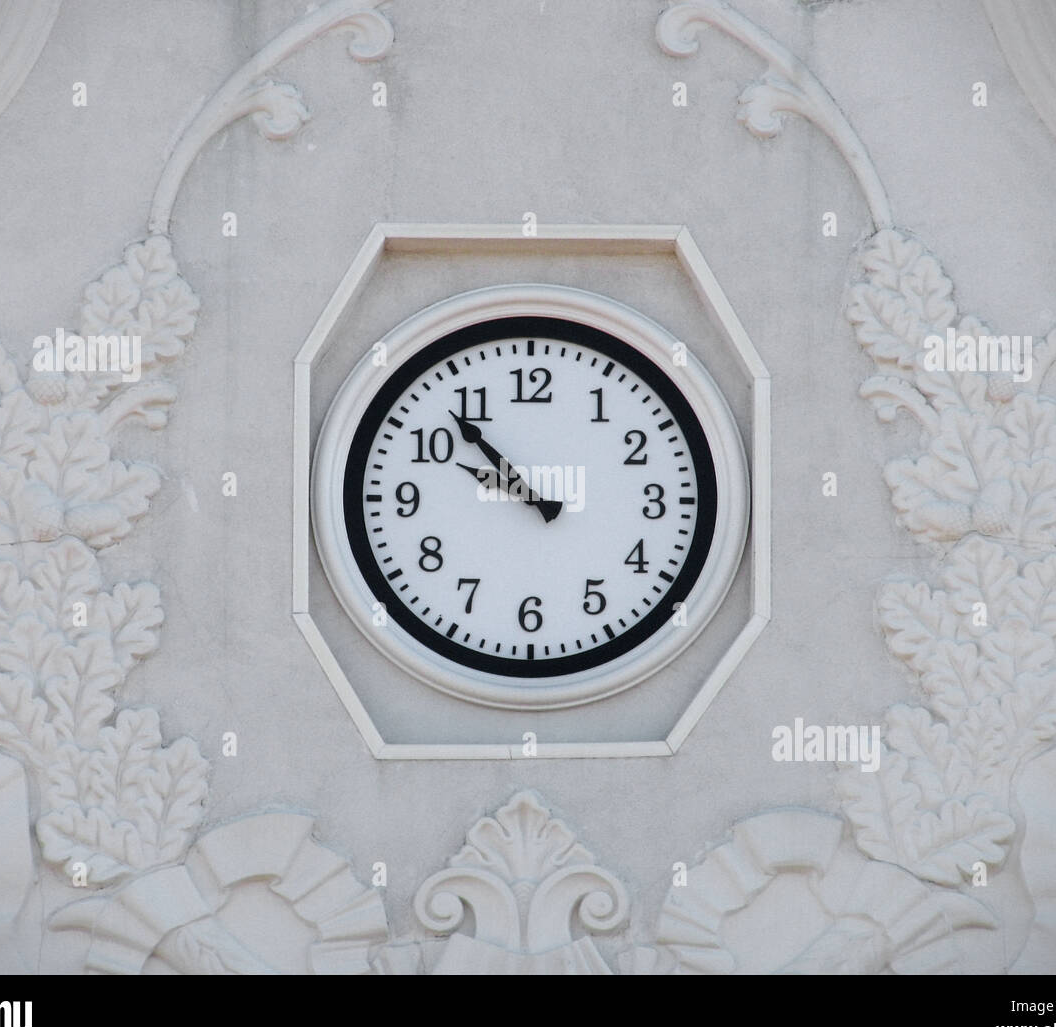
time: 9:53
